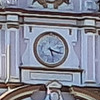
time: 5:18
